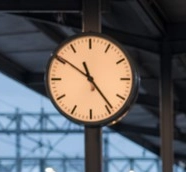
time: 11:23
